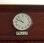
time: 9:53
